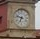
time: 6:47
